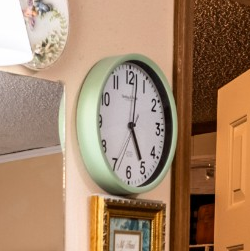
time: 5:01
